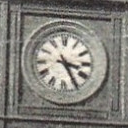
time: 3:24
